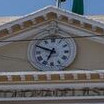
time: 6:49
